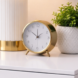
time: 1:50
